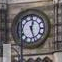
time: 12:26
